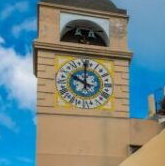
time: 10:00
